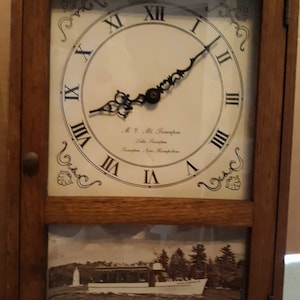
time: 8:08
